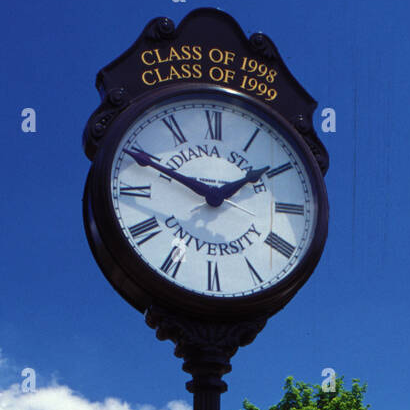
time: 1:49
